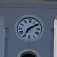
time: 7:09
